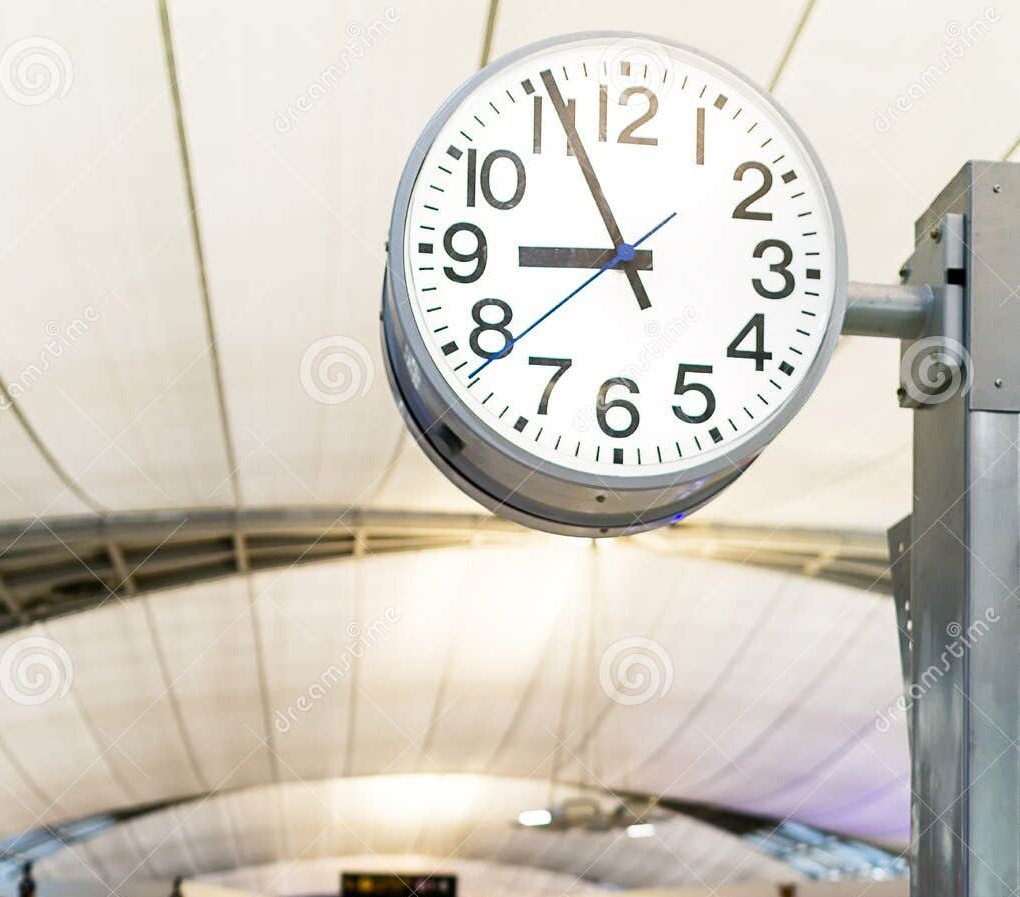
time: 8:55
